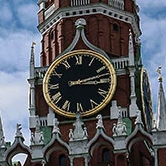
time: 3:12
